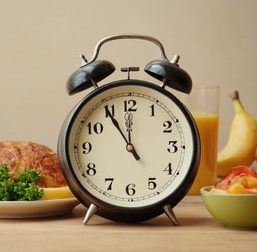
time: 11:54
